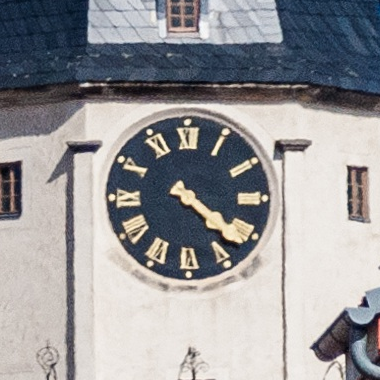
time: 4:21
